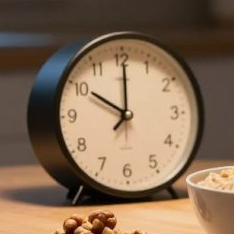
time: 10:00
